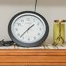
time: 1:37
